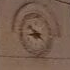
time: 8:51
